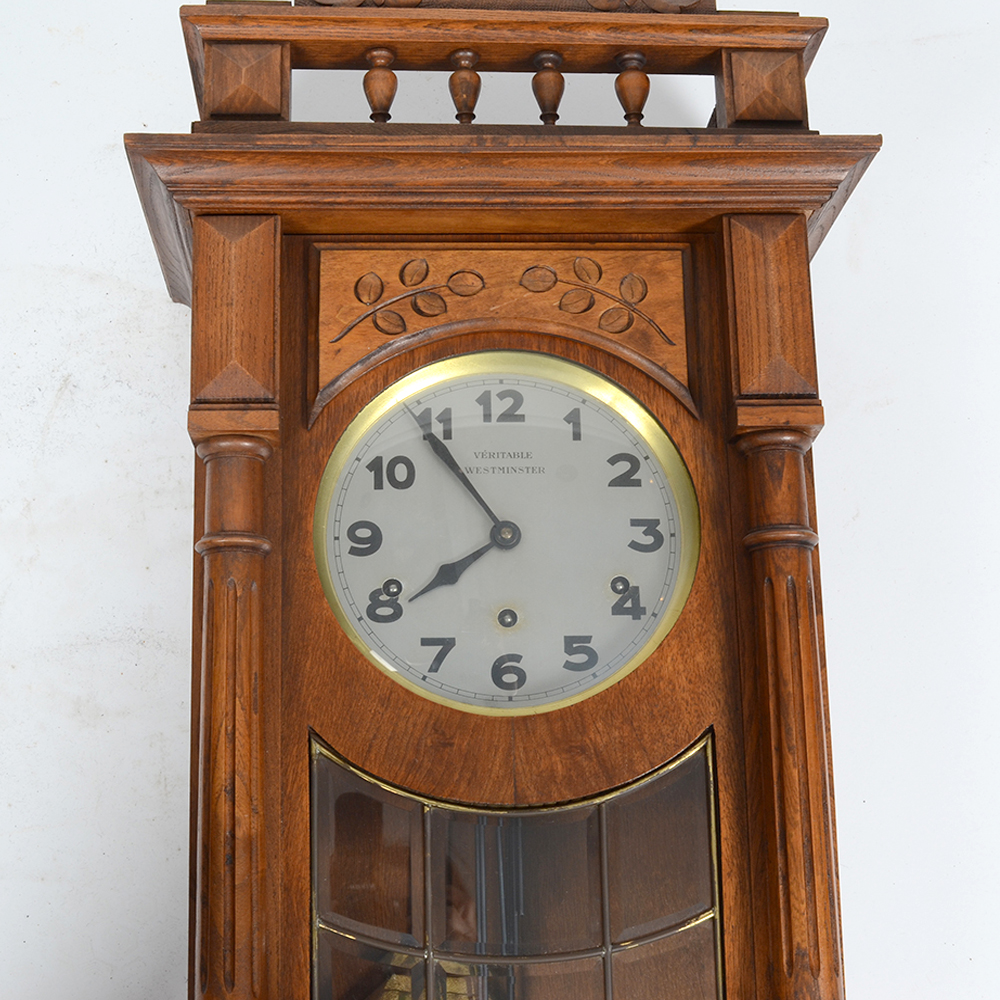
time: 7:53
